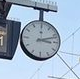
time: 3:11
